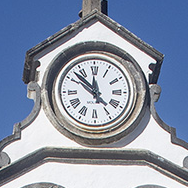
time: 11:52
